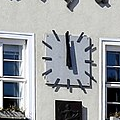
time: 11:59
